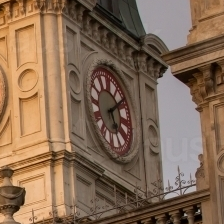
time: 5:09
